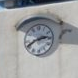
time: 2:40
